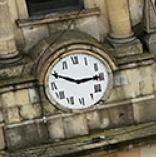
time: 2:49
